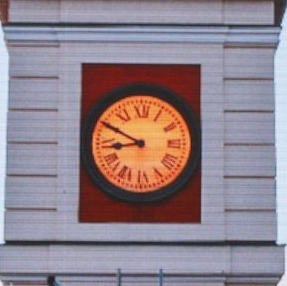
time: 8:49
